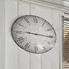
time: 9:15
